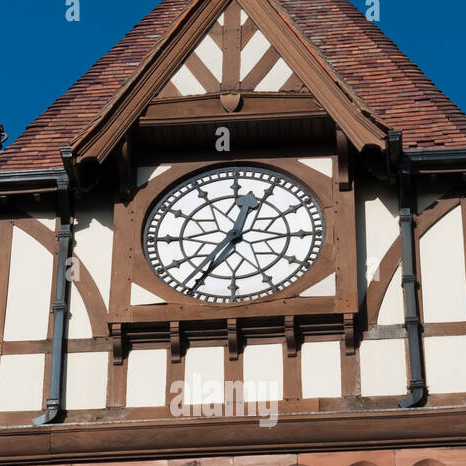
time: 12:35
